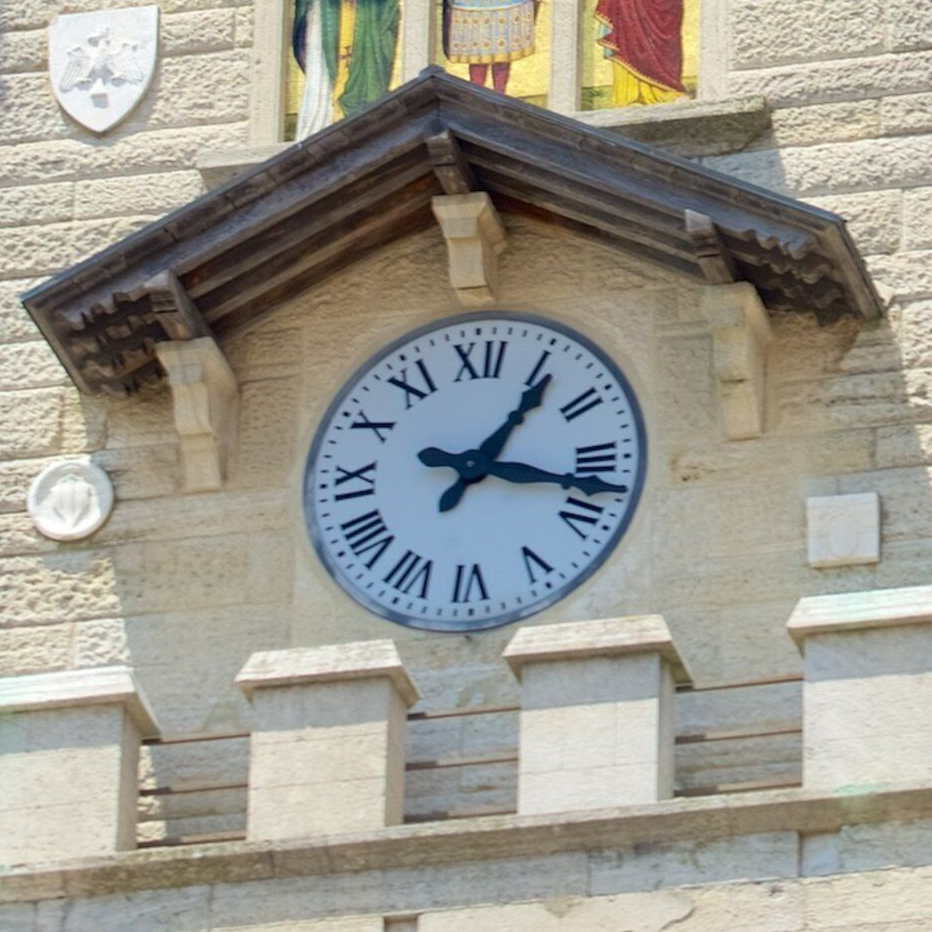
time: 1:17
